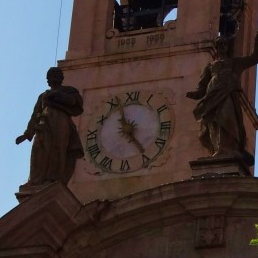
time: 4:56
